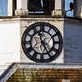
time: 11:25
